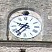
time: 9:37
